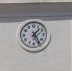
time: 1:24
